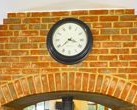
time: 3:38
